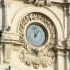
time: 12:58
